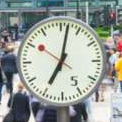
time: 7:01
